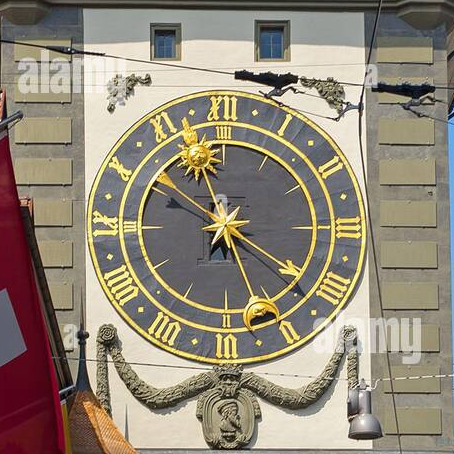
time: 11:21
